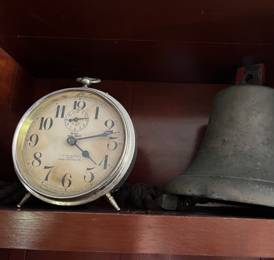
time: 4:12
